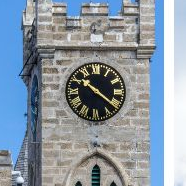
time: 10:21
